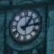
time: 1:13
